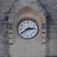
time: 2:39
